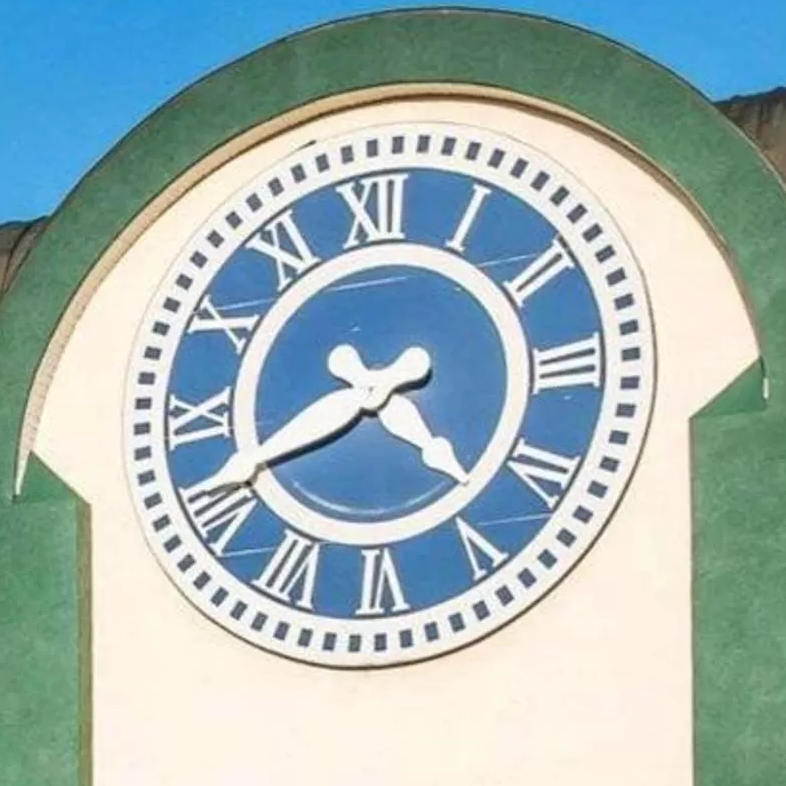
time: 4:41
